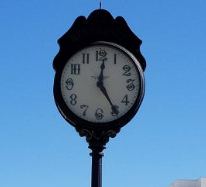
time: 12:24
